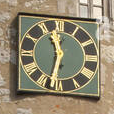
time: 11:32
